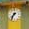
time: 7:36
